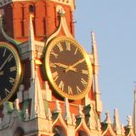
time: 9:10
